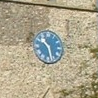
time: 10:28
